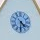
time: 4:30
